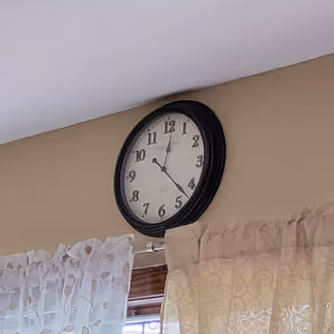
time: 12:22
